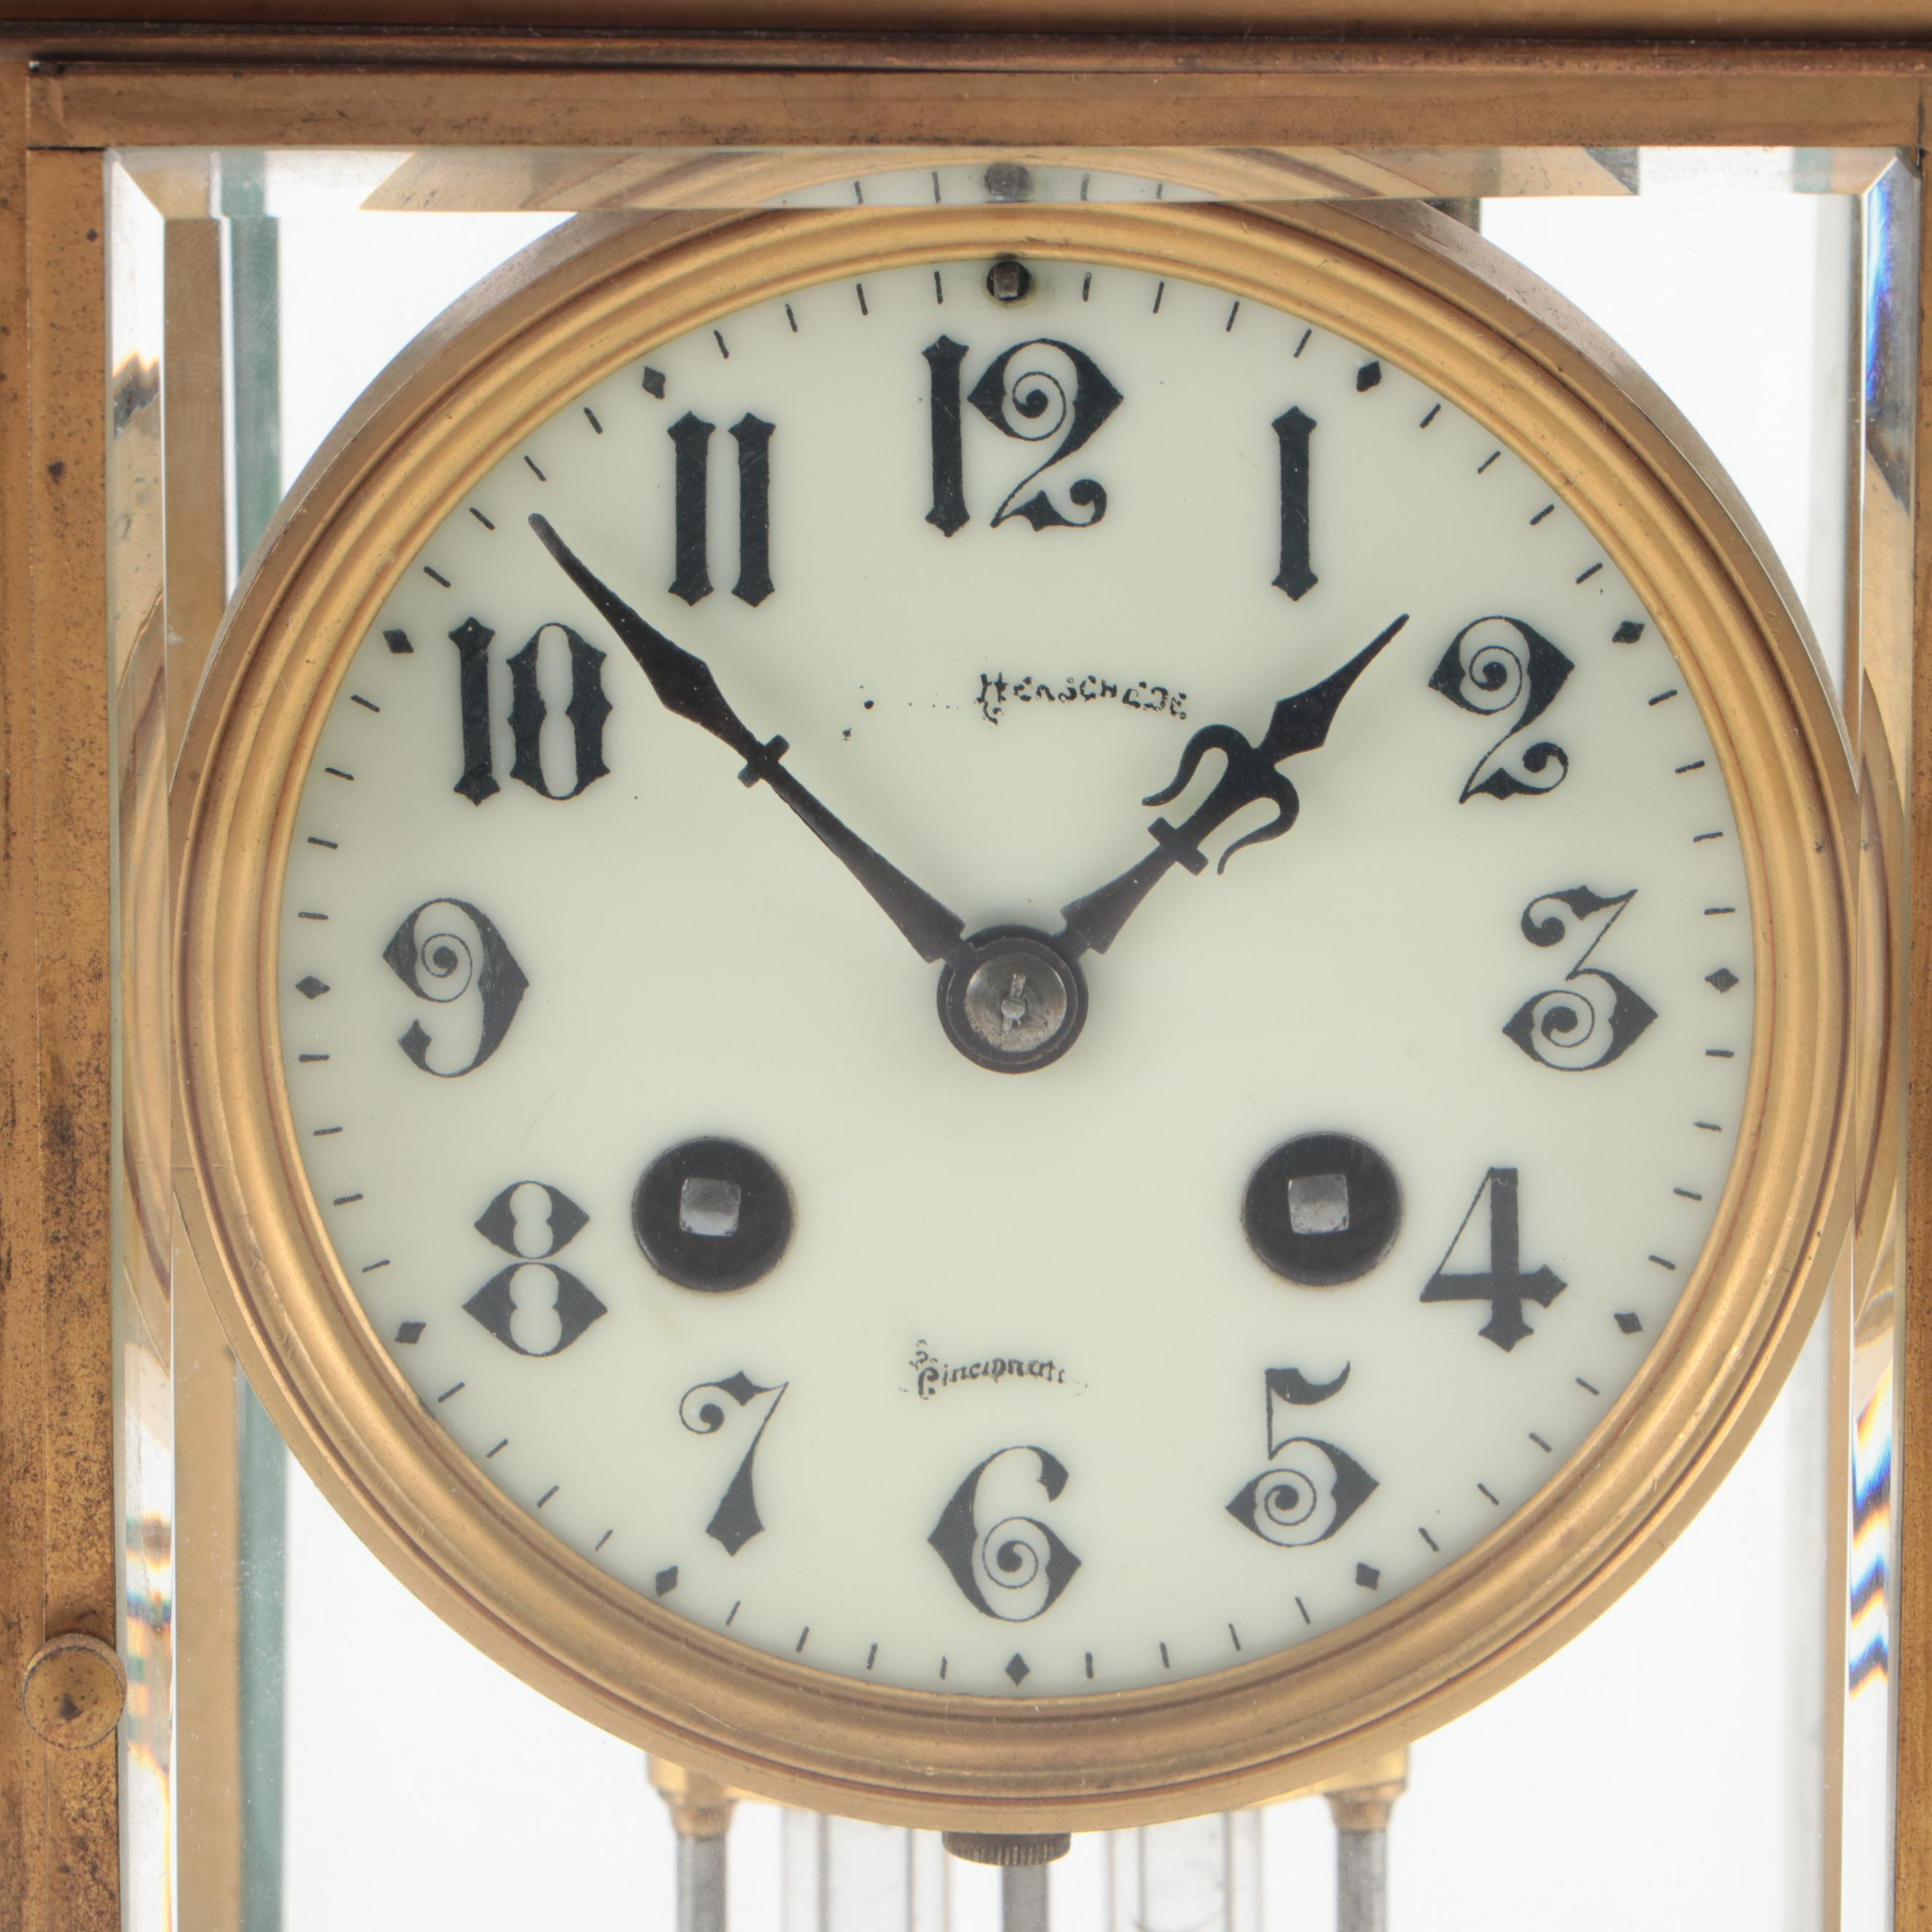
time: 1:52
